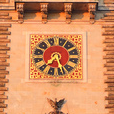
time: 7:25
